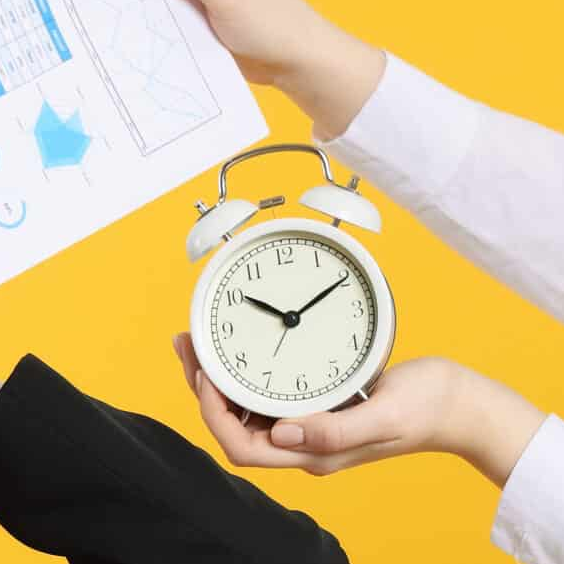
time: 10:10
